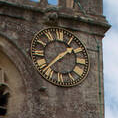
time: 1:38
